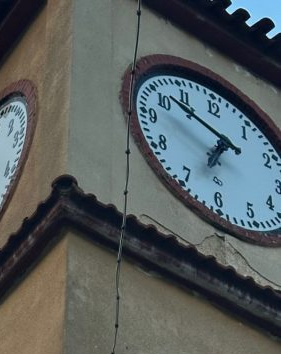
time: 6:50
